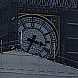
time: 3:34
